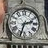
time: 2:33
